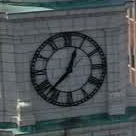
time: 12:37
